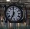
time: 7:00
